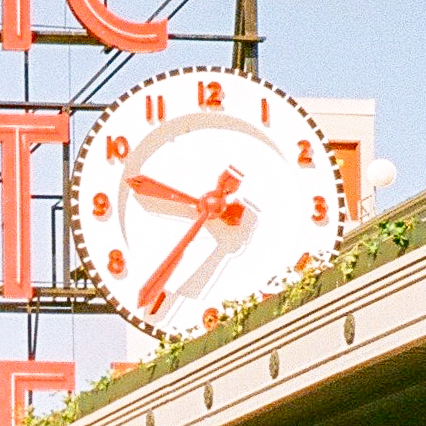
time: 9:36
